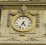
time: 4:34
